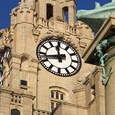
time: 11:42
